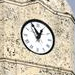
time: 12:55
